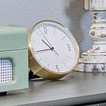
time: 10:43
